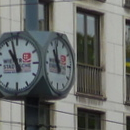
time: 10:58
